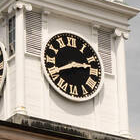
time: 2:40
